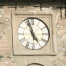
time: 4:57
